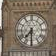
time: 7:30
